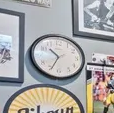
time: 10:34
